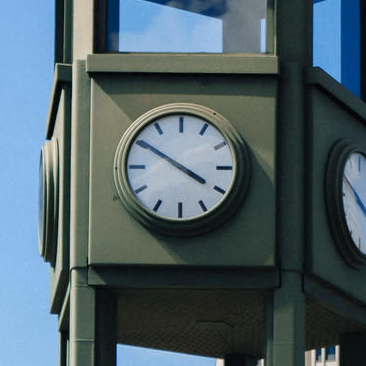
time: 3:50
